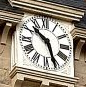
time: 10:26
